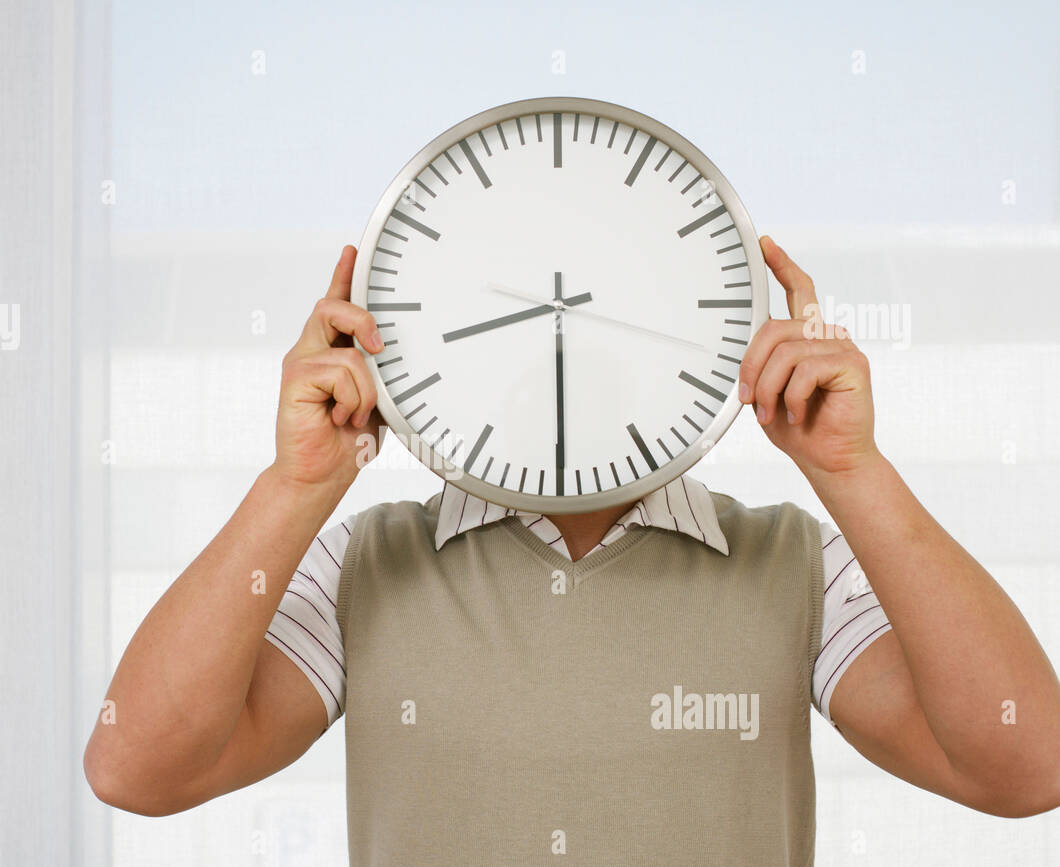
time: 8:30
